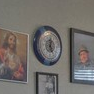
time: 12:24
